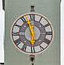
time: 5:57
